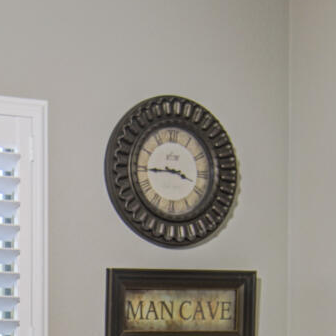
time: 3:44
